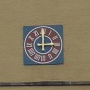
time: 3:00
